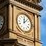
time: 12:07
